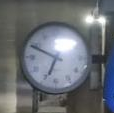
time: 6:49
